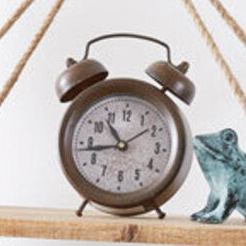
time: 10:43
